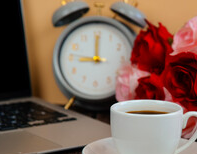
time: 9:00
